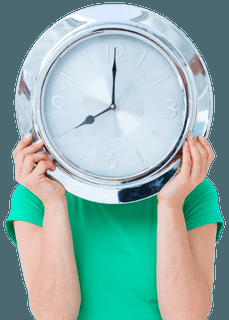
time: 8:00
